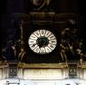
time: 6:40
